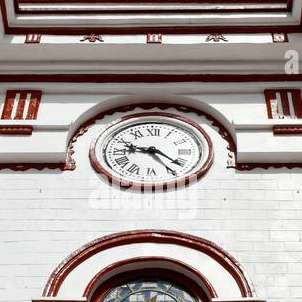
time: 9:22
